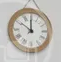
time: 11:50
